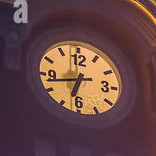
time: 6:42
